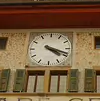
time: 4:18
